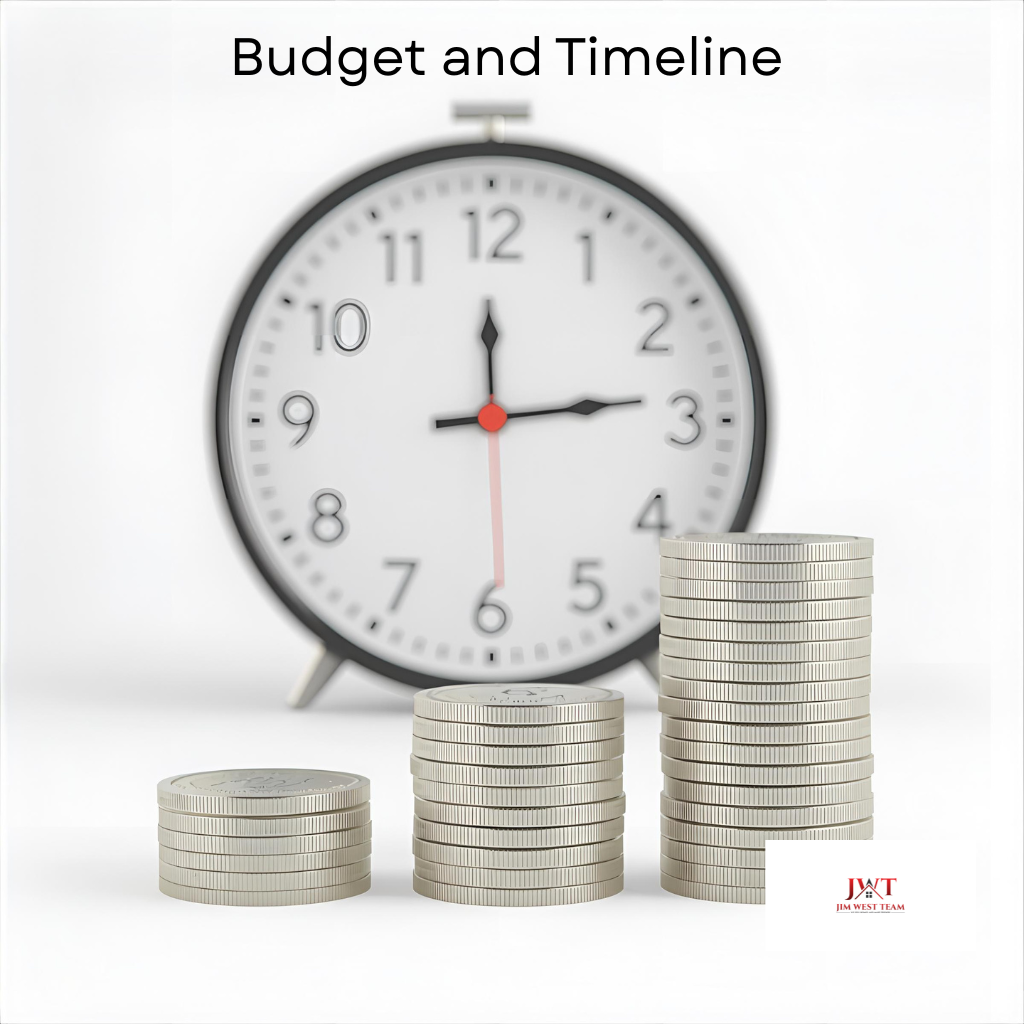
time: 12:13
